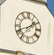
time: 1:41
